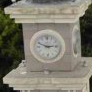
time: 2:48
